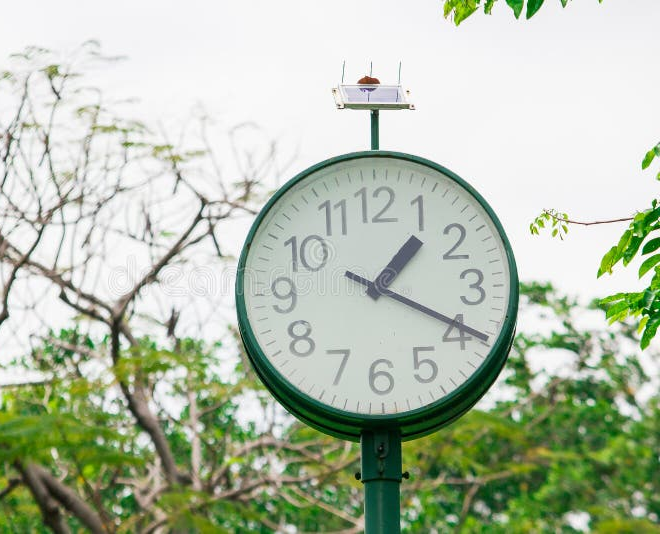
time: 1:19
